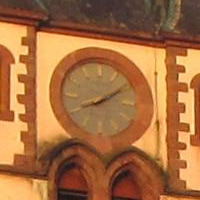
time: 8:09
